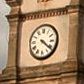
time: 4:21
